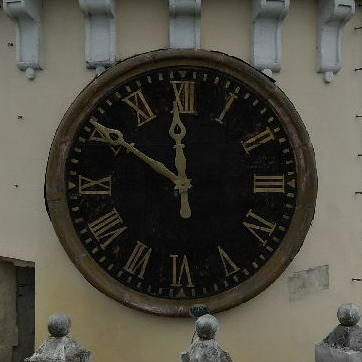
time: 11:50
